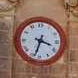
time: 3:33
